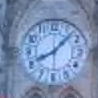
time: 8:07
